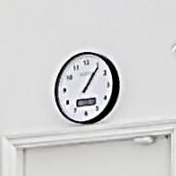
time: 1:06
